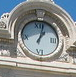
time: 1:02
